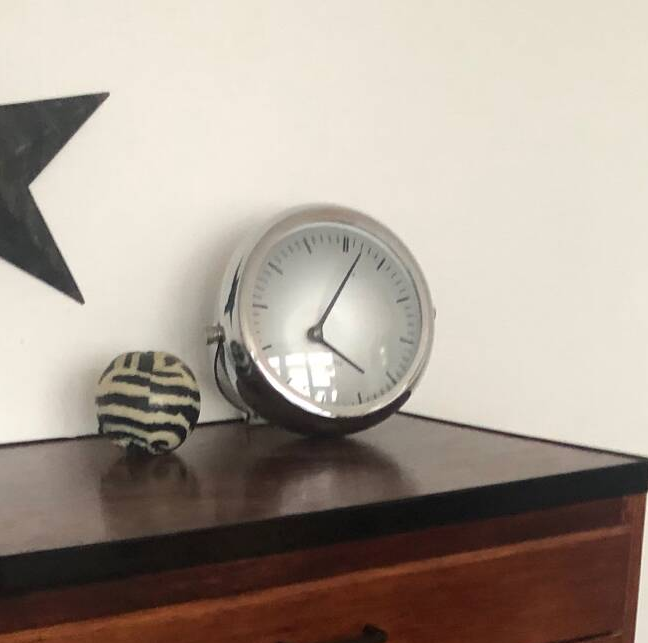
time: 4:07
